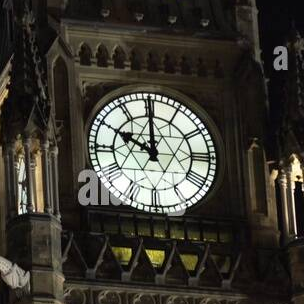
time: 9:59
